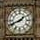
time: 1:41
